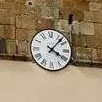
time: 4:07
